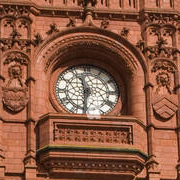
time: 11:31
